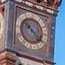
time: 10:20
